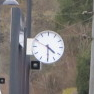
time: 4:29
